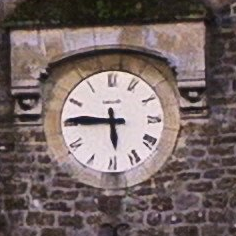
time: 5:45
